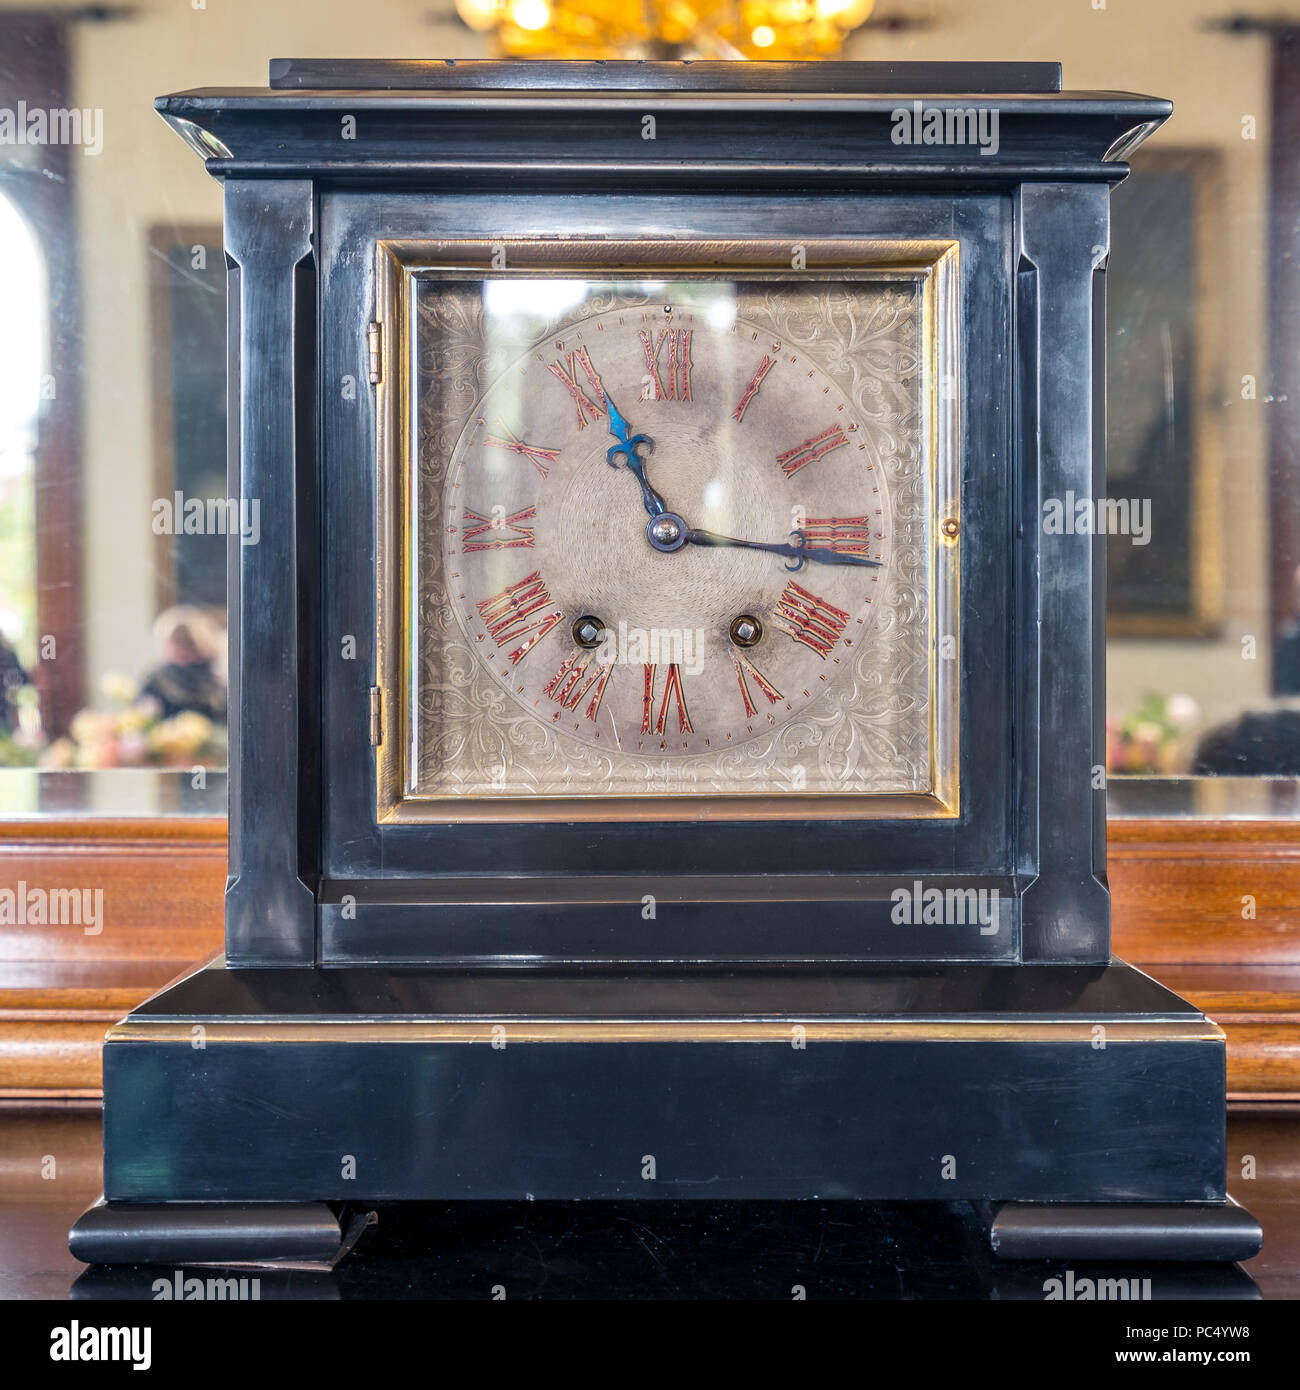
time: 11:16
